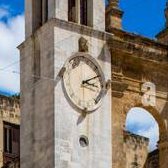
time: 3:12
